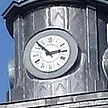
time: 2:52
